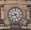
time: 8:25
